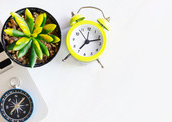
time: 7:12
